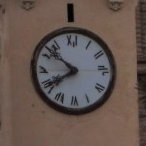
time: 7:52
